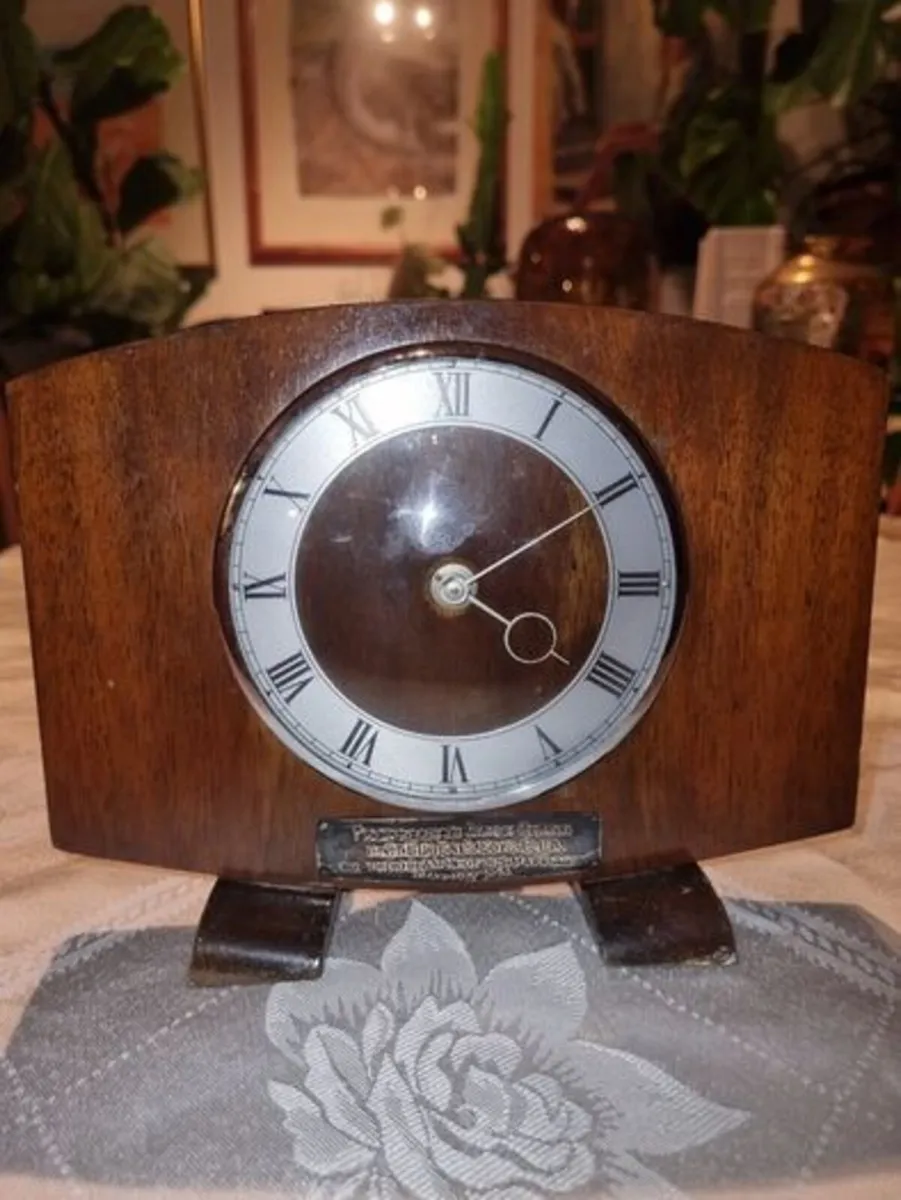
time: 4:10
